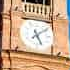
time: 5:08
